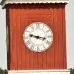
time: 9:17
